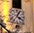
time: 4:04
